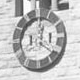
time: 12:20
